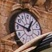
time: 12:47
